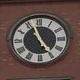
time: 4:56
